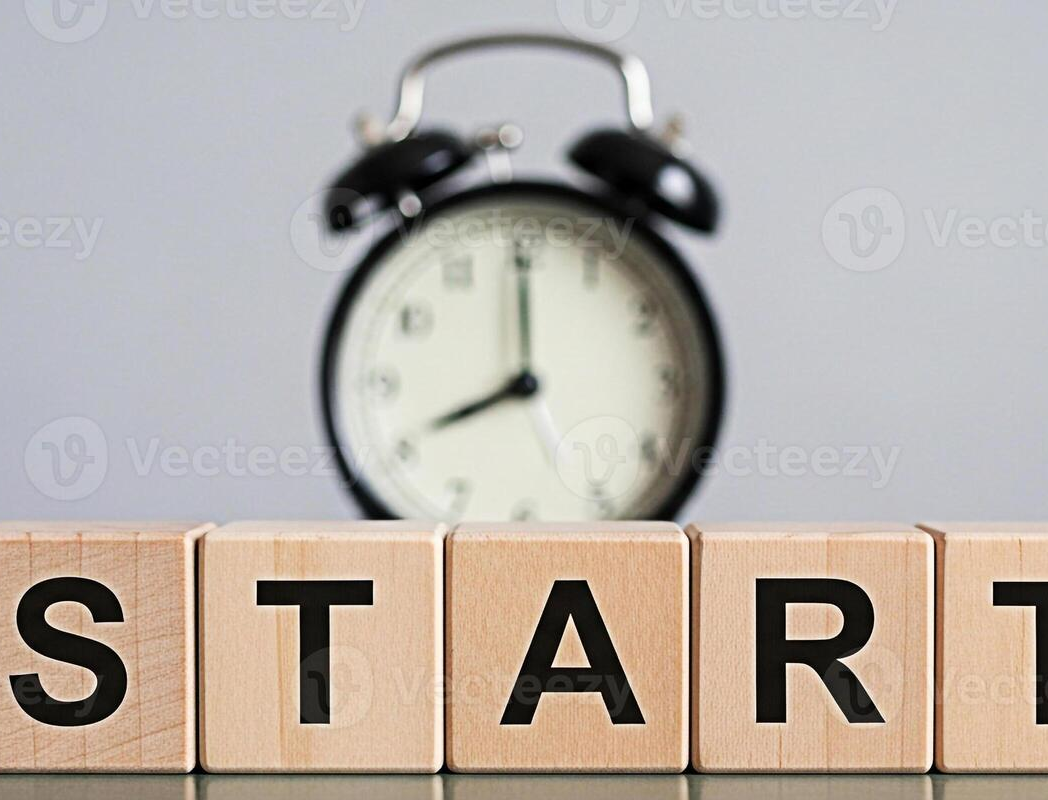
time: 8:00
